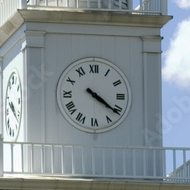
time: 4:21
